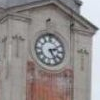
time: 2:24
